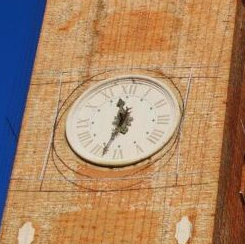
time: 11:33
